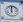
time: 12:00
